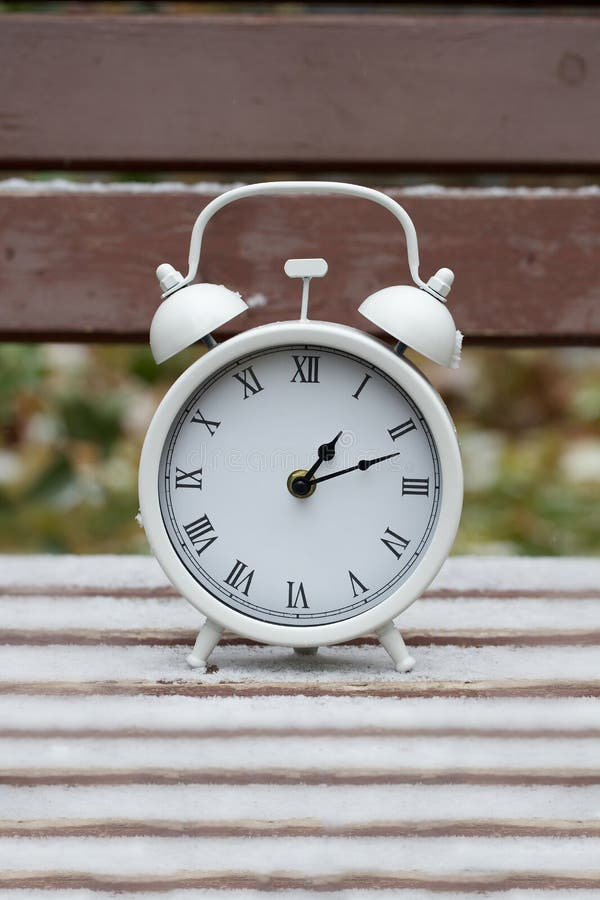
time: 1:11
